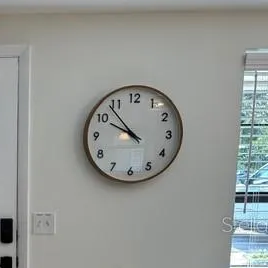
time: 9:53
